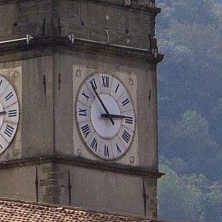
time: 2:53
